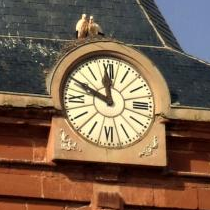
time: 11:49
